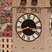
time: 3:40
